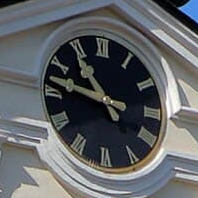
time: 10:47
